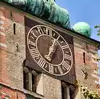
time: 7:04
